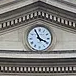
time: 3:55
